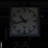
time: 10:42
